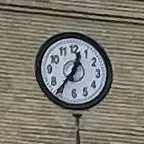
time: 12:36
